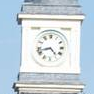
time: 4:42
